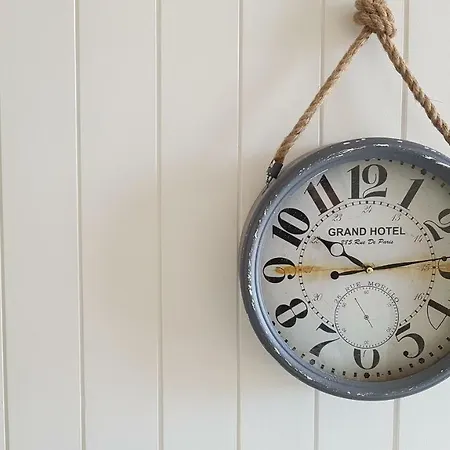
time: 10:13
